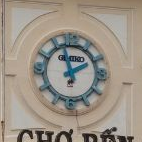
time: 1:57
